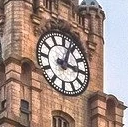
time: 3:02
